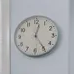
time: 12:24
